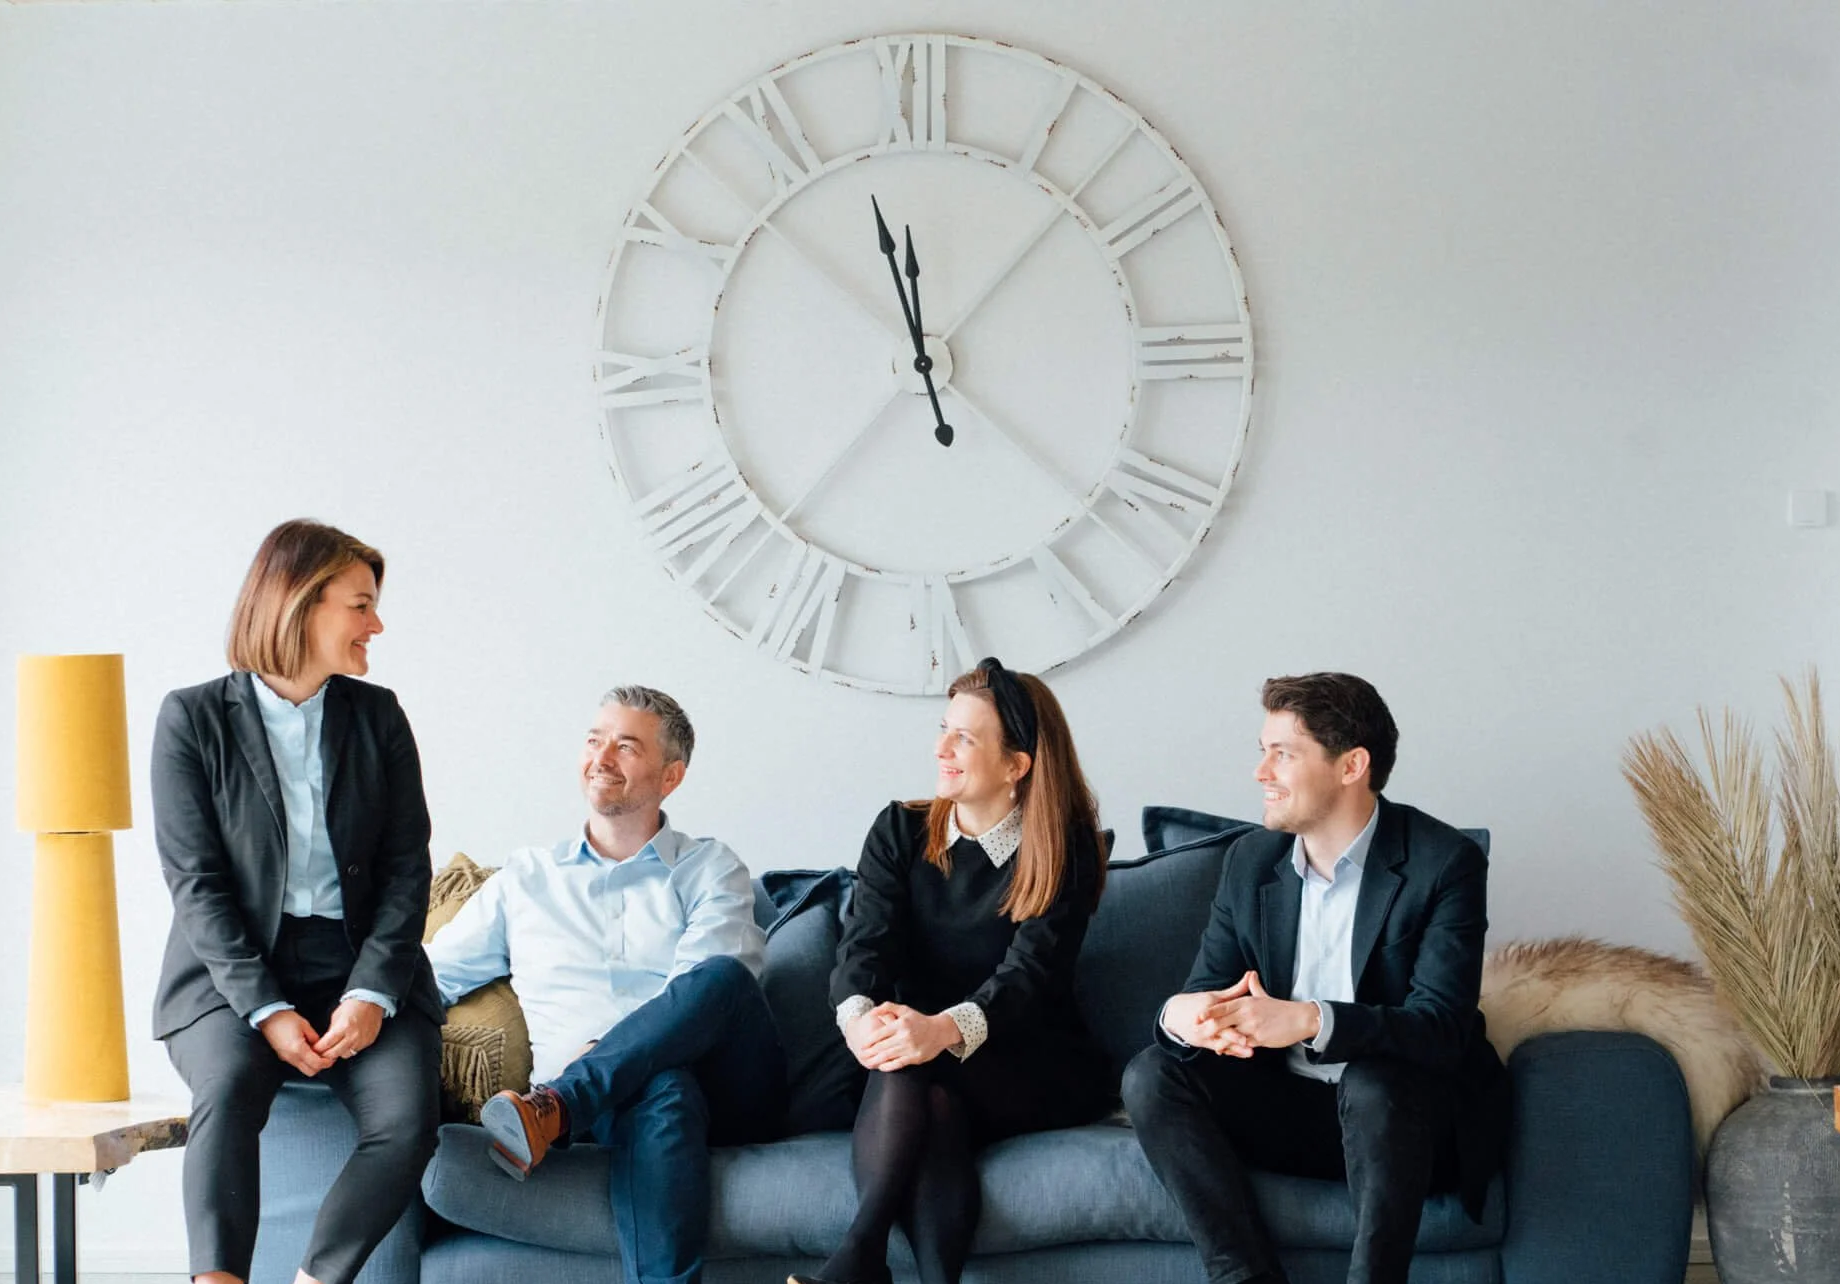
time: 11:57
